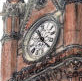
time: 11:22
